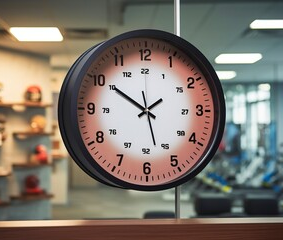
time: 1:50
